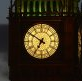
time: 6:50
